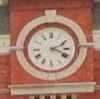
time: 2:18
